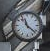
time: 11:21
